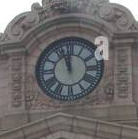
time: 11:56
